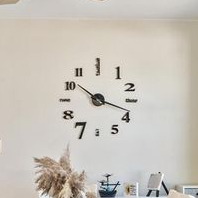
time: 10:18
